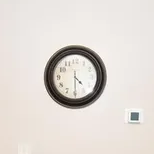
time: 4:29
